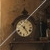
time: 10:23
